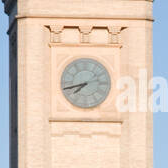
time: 7:42
